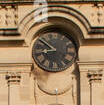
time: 8:51
